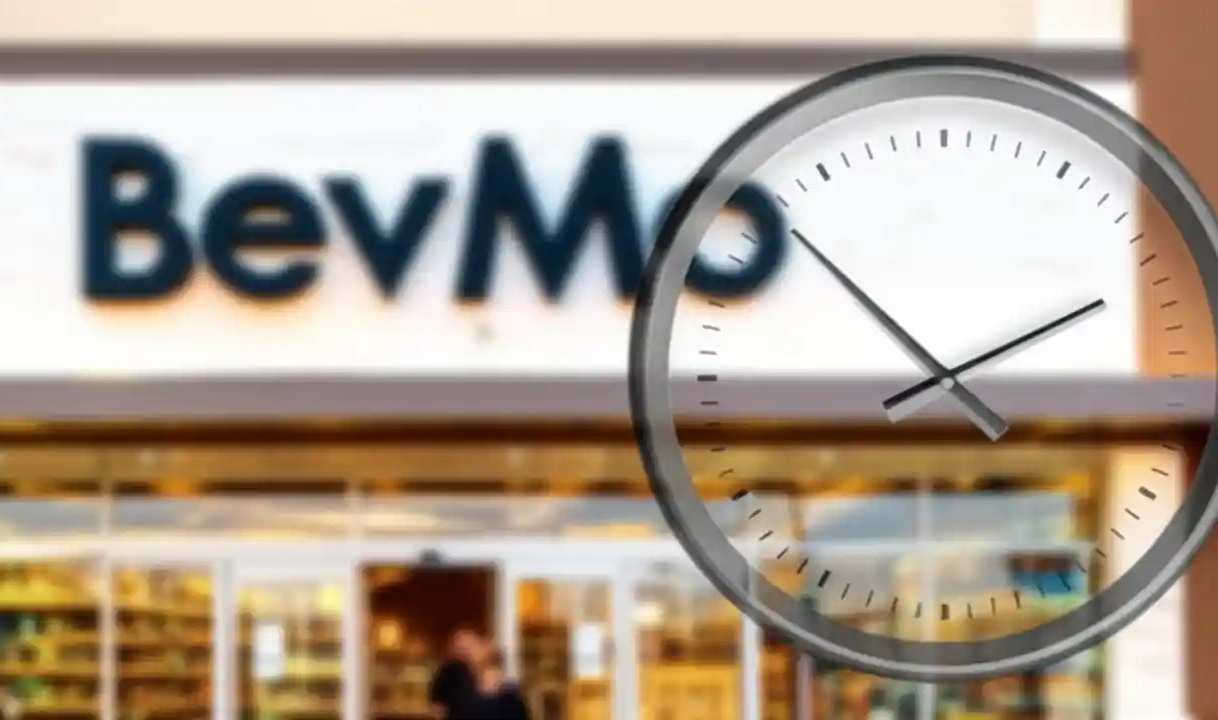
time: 1:52
